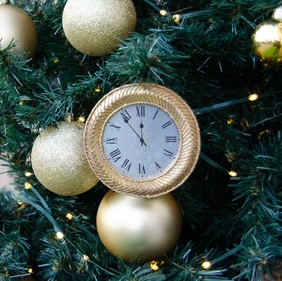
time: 11:53
